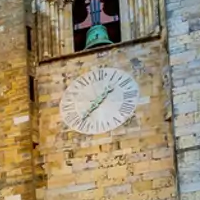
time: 1:37
